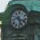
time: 5:18
